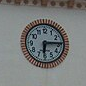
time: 6:14
